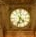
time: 4:33
